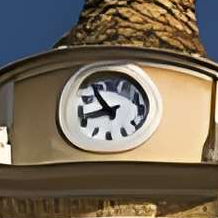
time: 8:54
